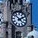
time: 1:51
